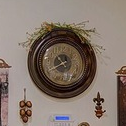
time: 10:40
